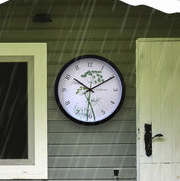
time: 10:10
